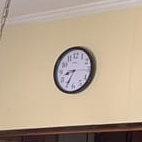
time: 8:34
